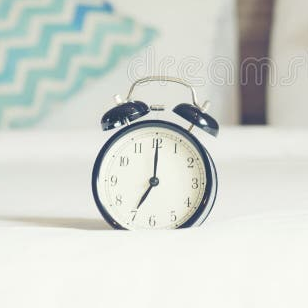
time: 7:00
